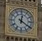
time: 12:20
